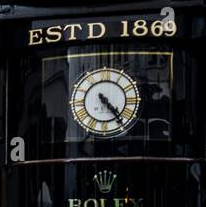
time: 4:23
